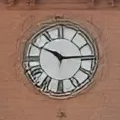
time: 10:14
